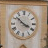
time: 3:51
